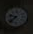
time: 9:38
